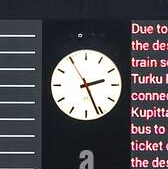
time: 2:26
